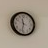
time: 11:32
